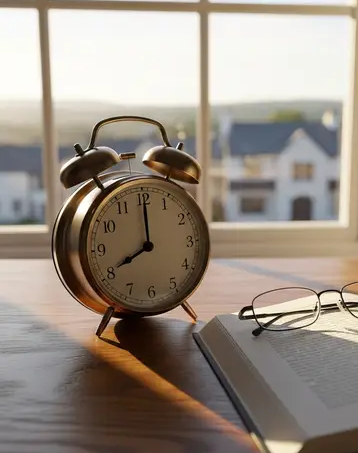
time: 8:00
